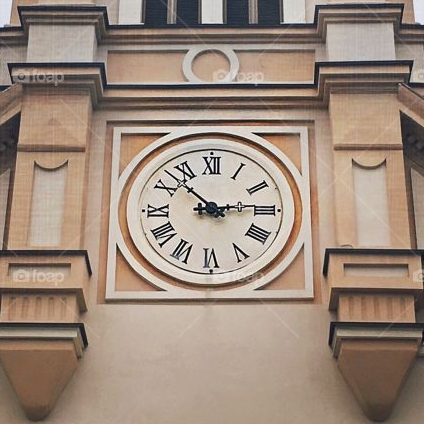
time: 2:52
